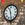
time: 11:28
